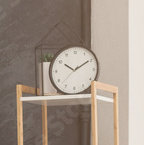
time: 10:09
